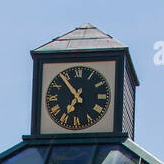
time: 6:53
